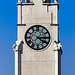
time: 4:14
